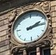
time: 2:14
